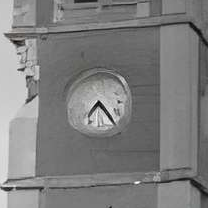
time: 7:24
